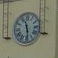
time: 11:28
